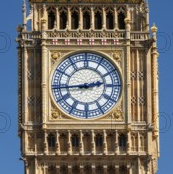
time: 2:44
